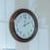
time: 2:01
